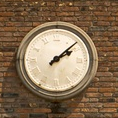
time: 2:08
